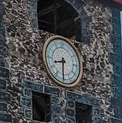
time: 8:30
